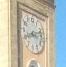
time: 8:12
